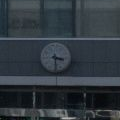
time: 3:29
